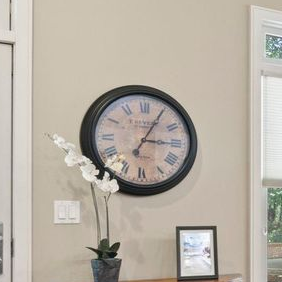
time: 3:04
